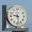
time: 9:28
